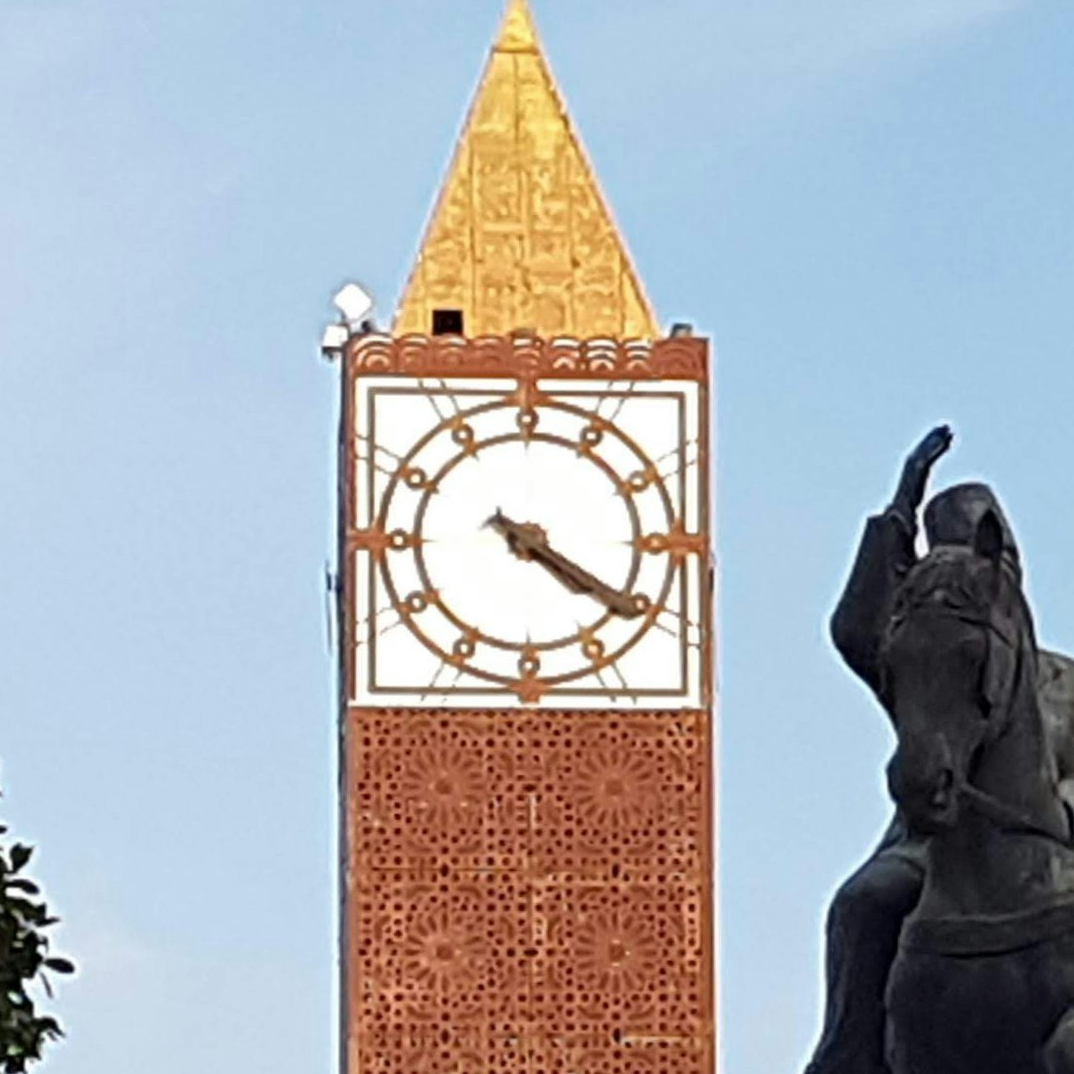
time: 4:20
